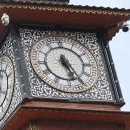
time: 5:26
